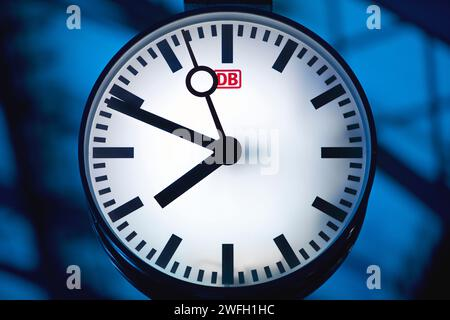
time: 7:48
